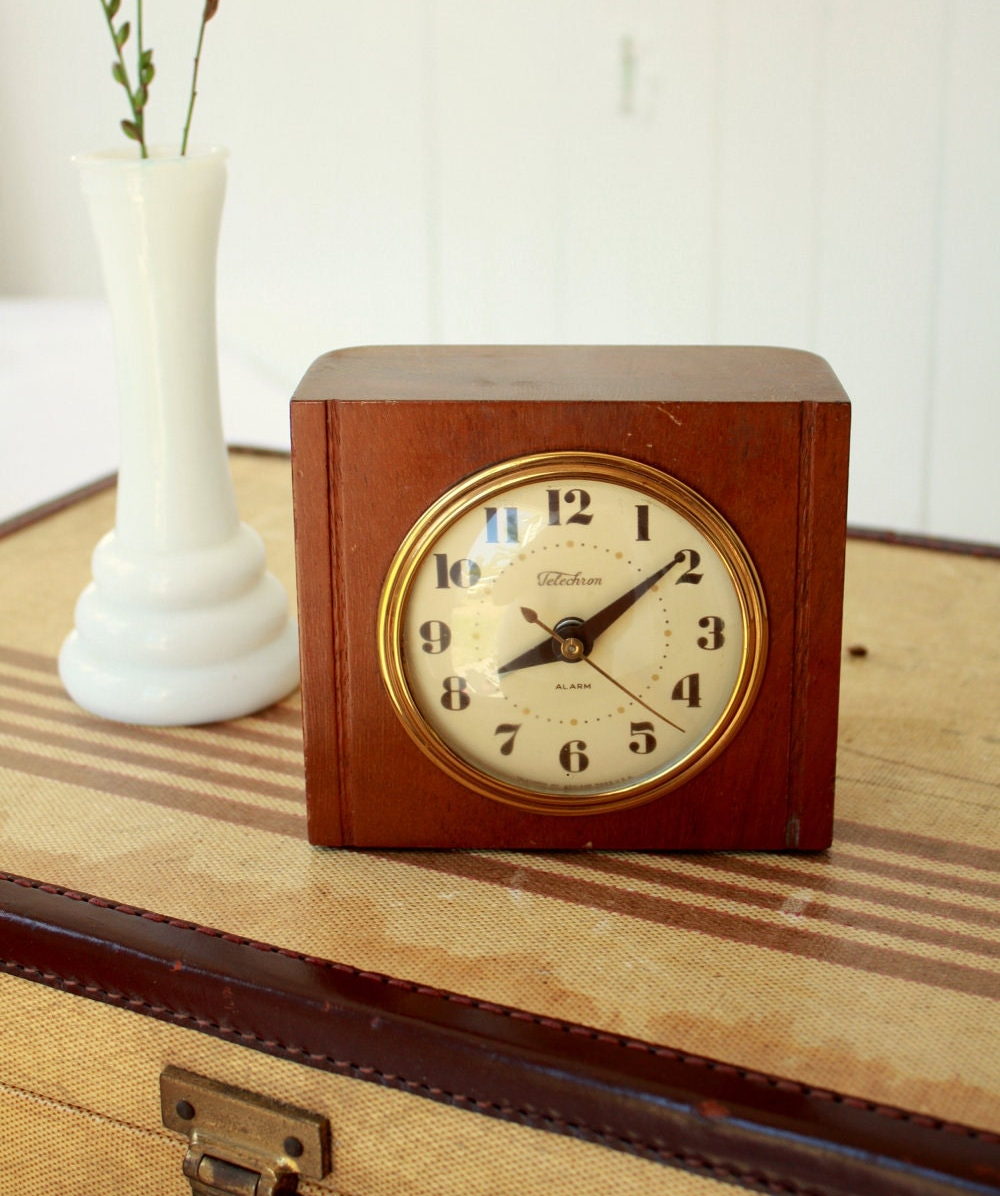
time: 8:08
